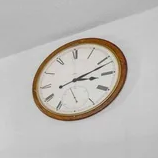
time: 3:11
